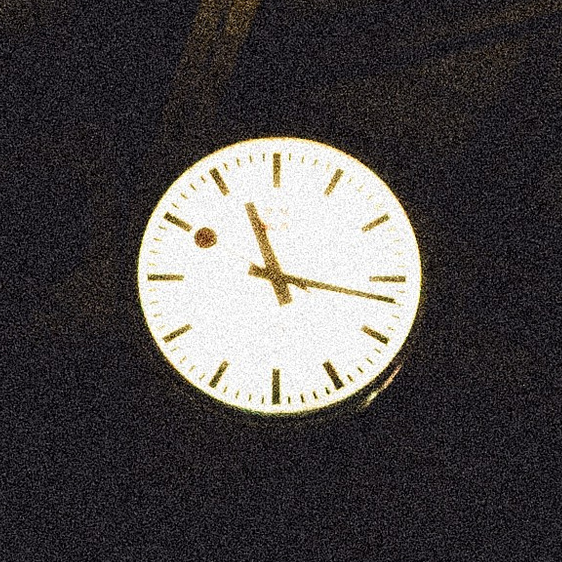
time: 11:16
